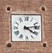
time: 4:13
